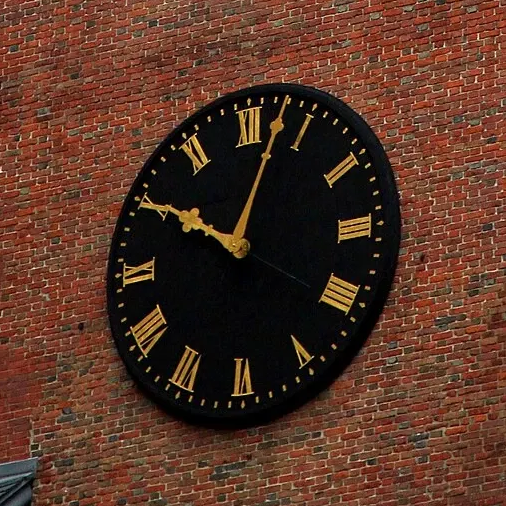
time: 10:02
